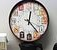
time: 12:23
